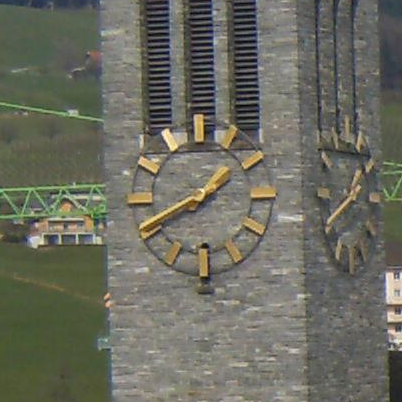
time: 1:40
